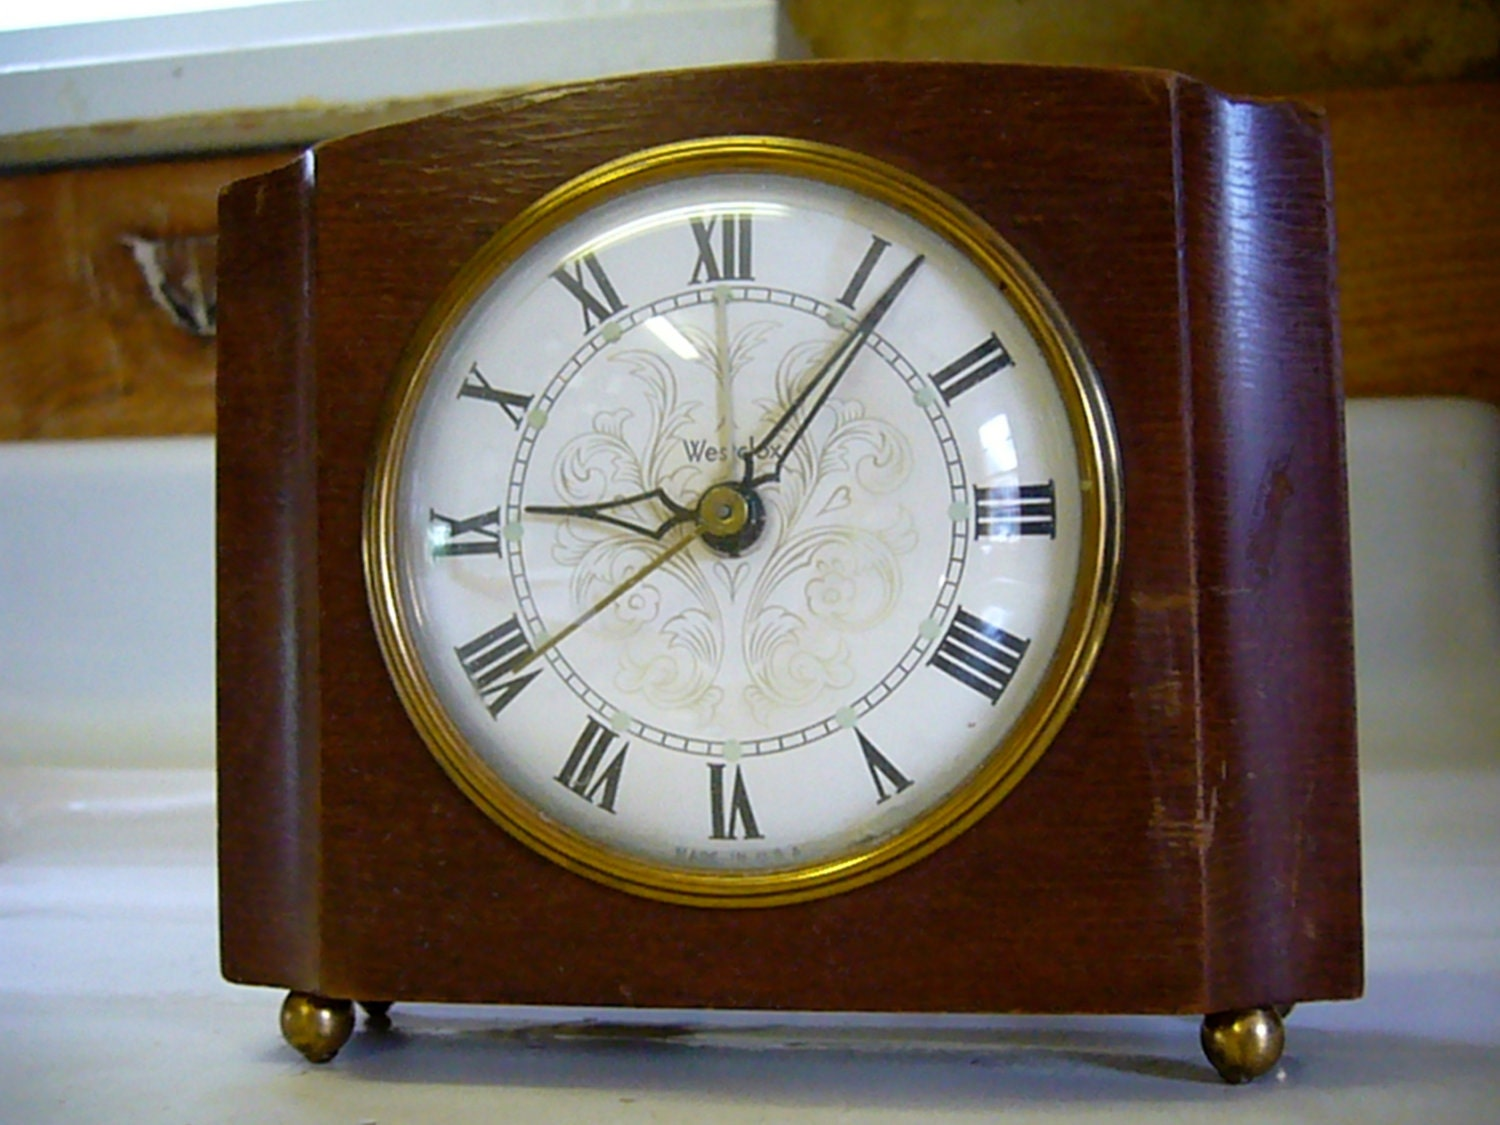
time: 9:06
